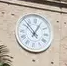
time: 12:52
